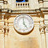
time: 4:59
